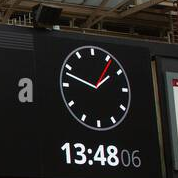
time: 1:48
